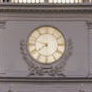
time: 7:47
